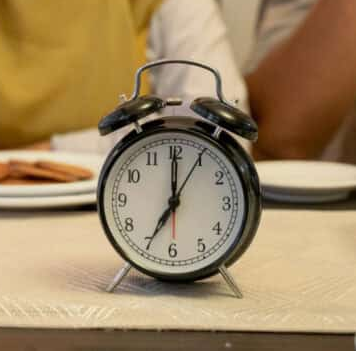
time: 7:00
